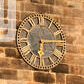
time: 6:14
